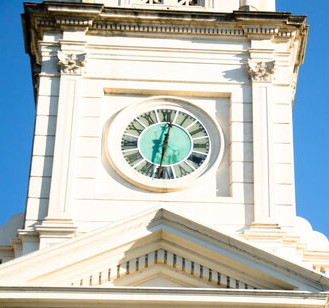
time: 6:01
